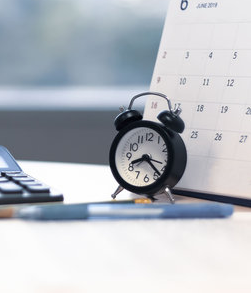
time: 8:23
